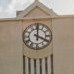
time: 4:00
